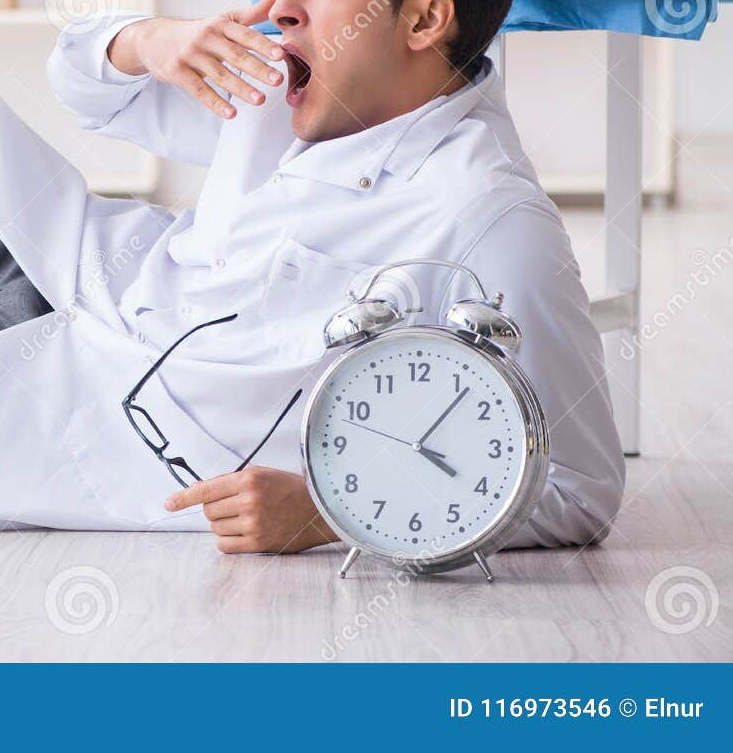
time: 4:06
